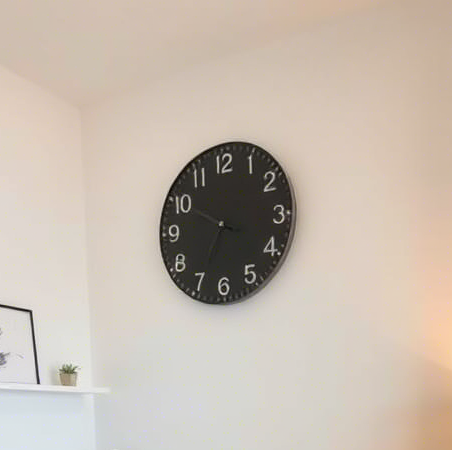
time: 6:49
